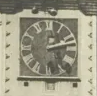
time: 2:12
